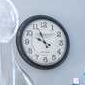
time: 9:56
